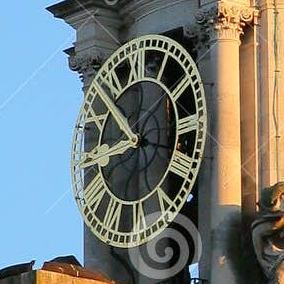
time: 8:52
